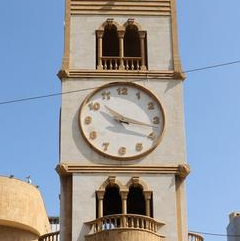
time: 10:17
